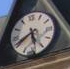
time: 5:40
